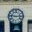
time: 9:14
